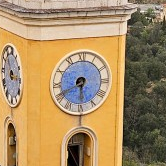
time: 5:40
